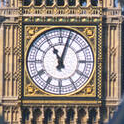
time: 11:03
